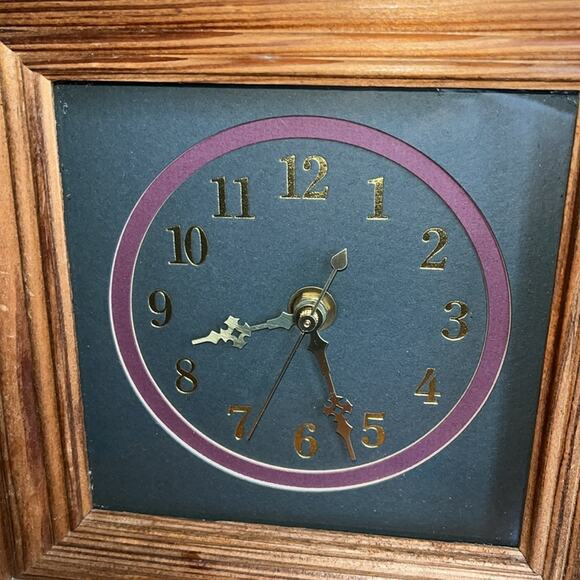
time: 8:27
